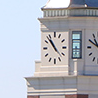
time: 10:53
